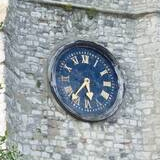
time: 5:36
